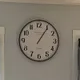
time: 1:05
